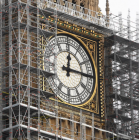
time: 12:14
